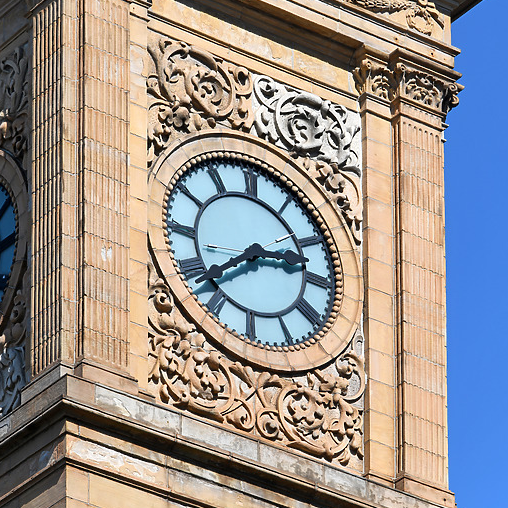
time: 2:39
